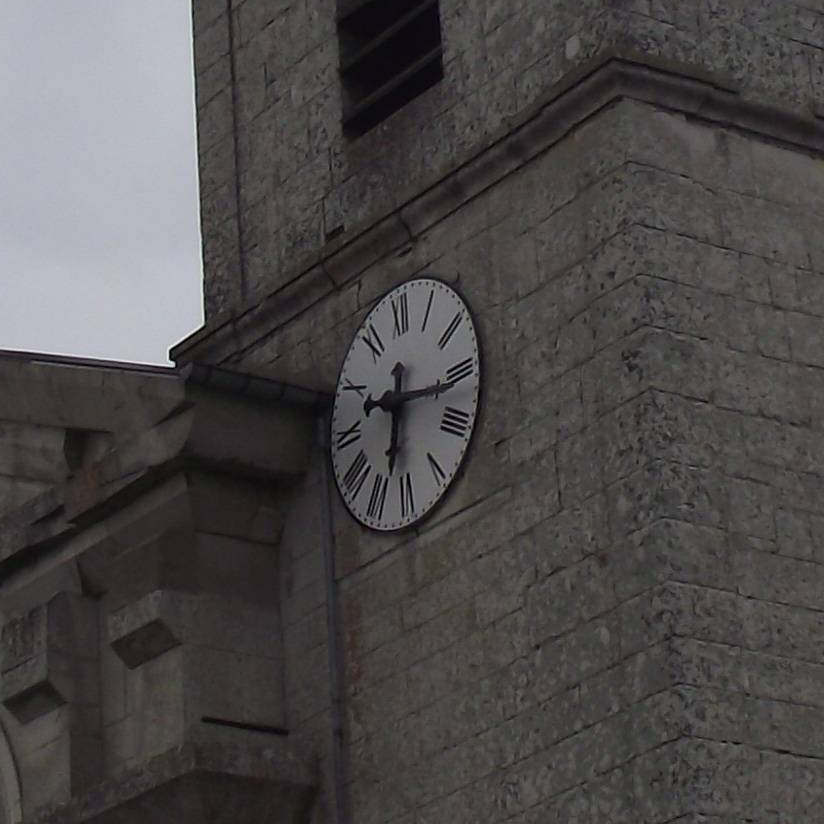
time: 6:16
